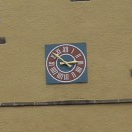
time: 2:52
